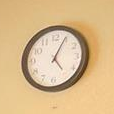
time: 5:04
